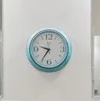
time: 9:35
